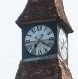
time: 7:20
